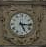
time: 5:15
